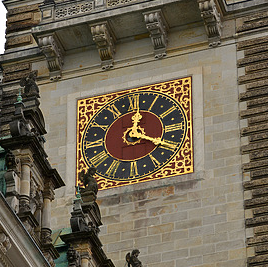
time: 12:19
